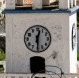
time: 12:29
